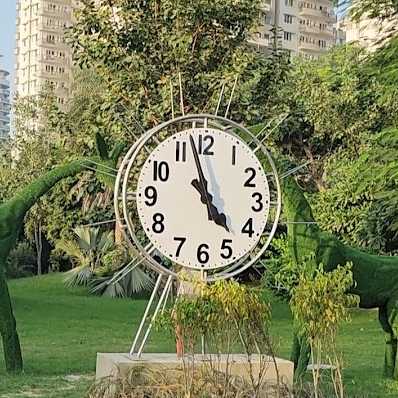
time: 4:57
